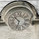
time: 10:32
